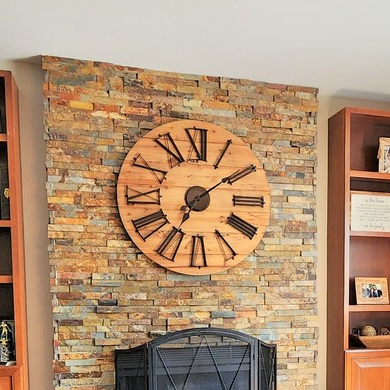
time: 7:09
